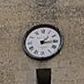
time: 1:14
